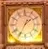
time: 1:34
